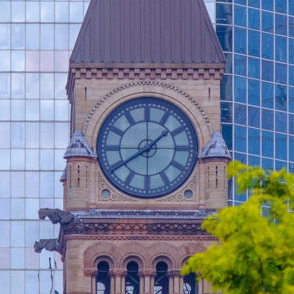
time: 1:39
